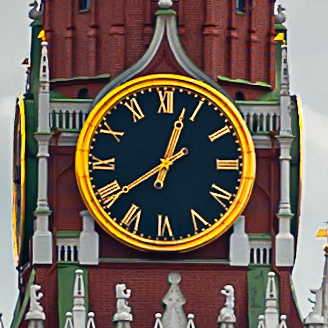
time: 12:39
